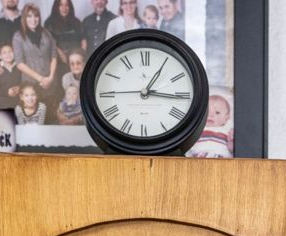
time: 1:16
